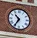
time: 10:35
